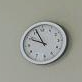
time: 9:56
